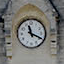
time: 11:19
